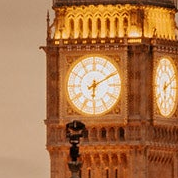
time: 6:10
